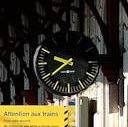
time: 9:39
